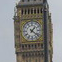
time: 1:21
